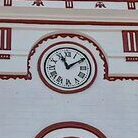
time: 11:09
